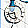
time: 8:27
